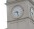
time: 8:26
